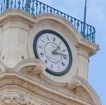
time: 1:13
